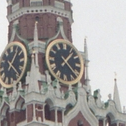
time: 1:22
